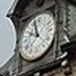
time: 9:57
